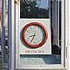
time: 8:34
